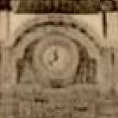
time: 11:37
